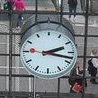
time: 2:17
